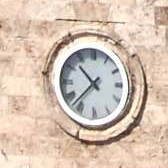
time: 10:37
